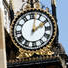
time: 2:02
